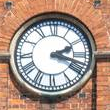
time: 2:18
